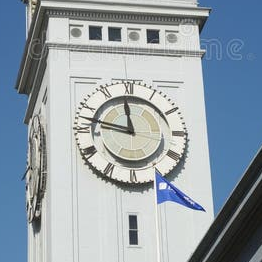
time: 11:47
